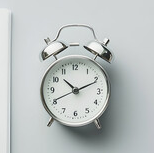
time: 10:11
